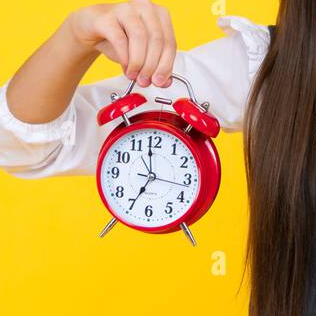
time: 6:58
